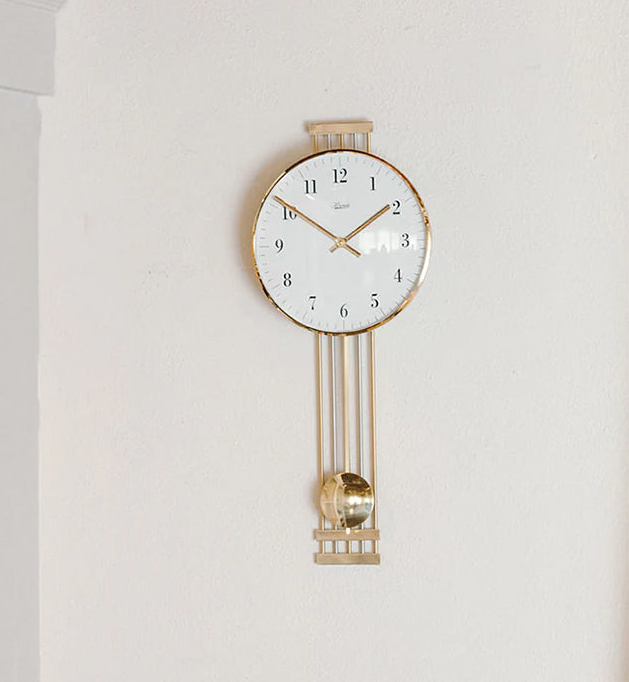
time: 1:51
